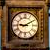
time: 9:10
